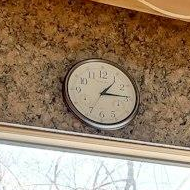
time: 1:14
